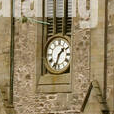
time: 1:33
